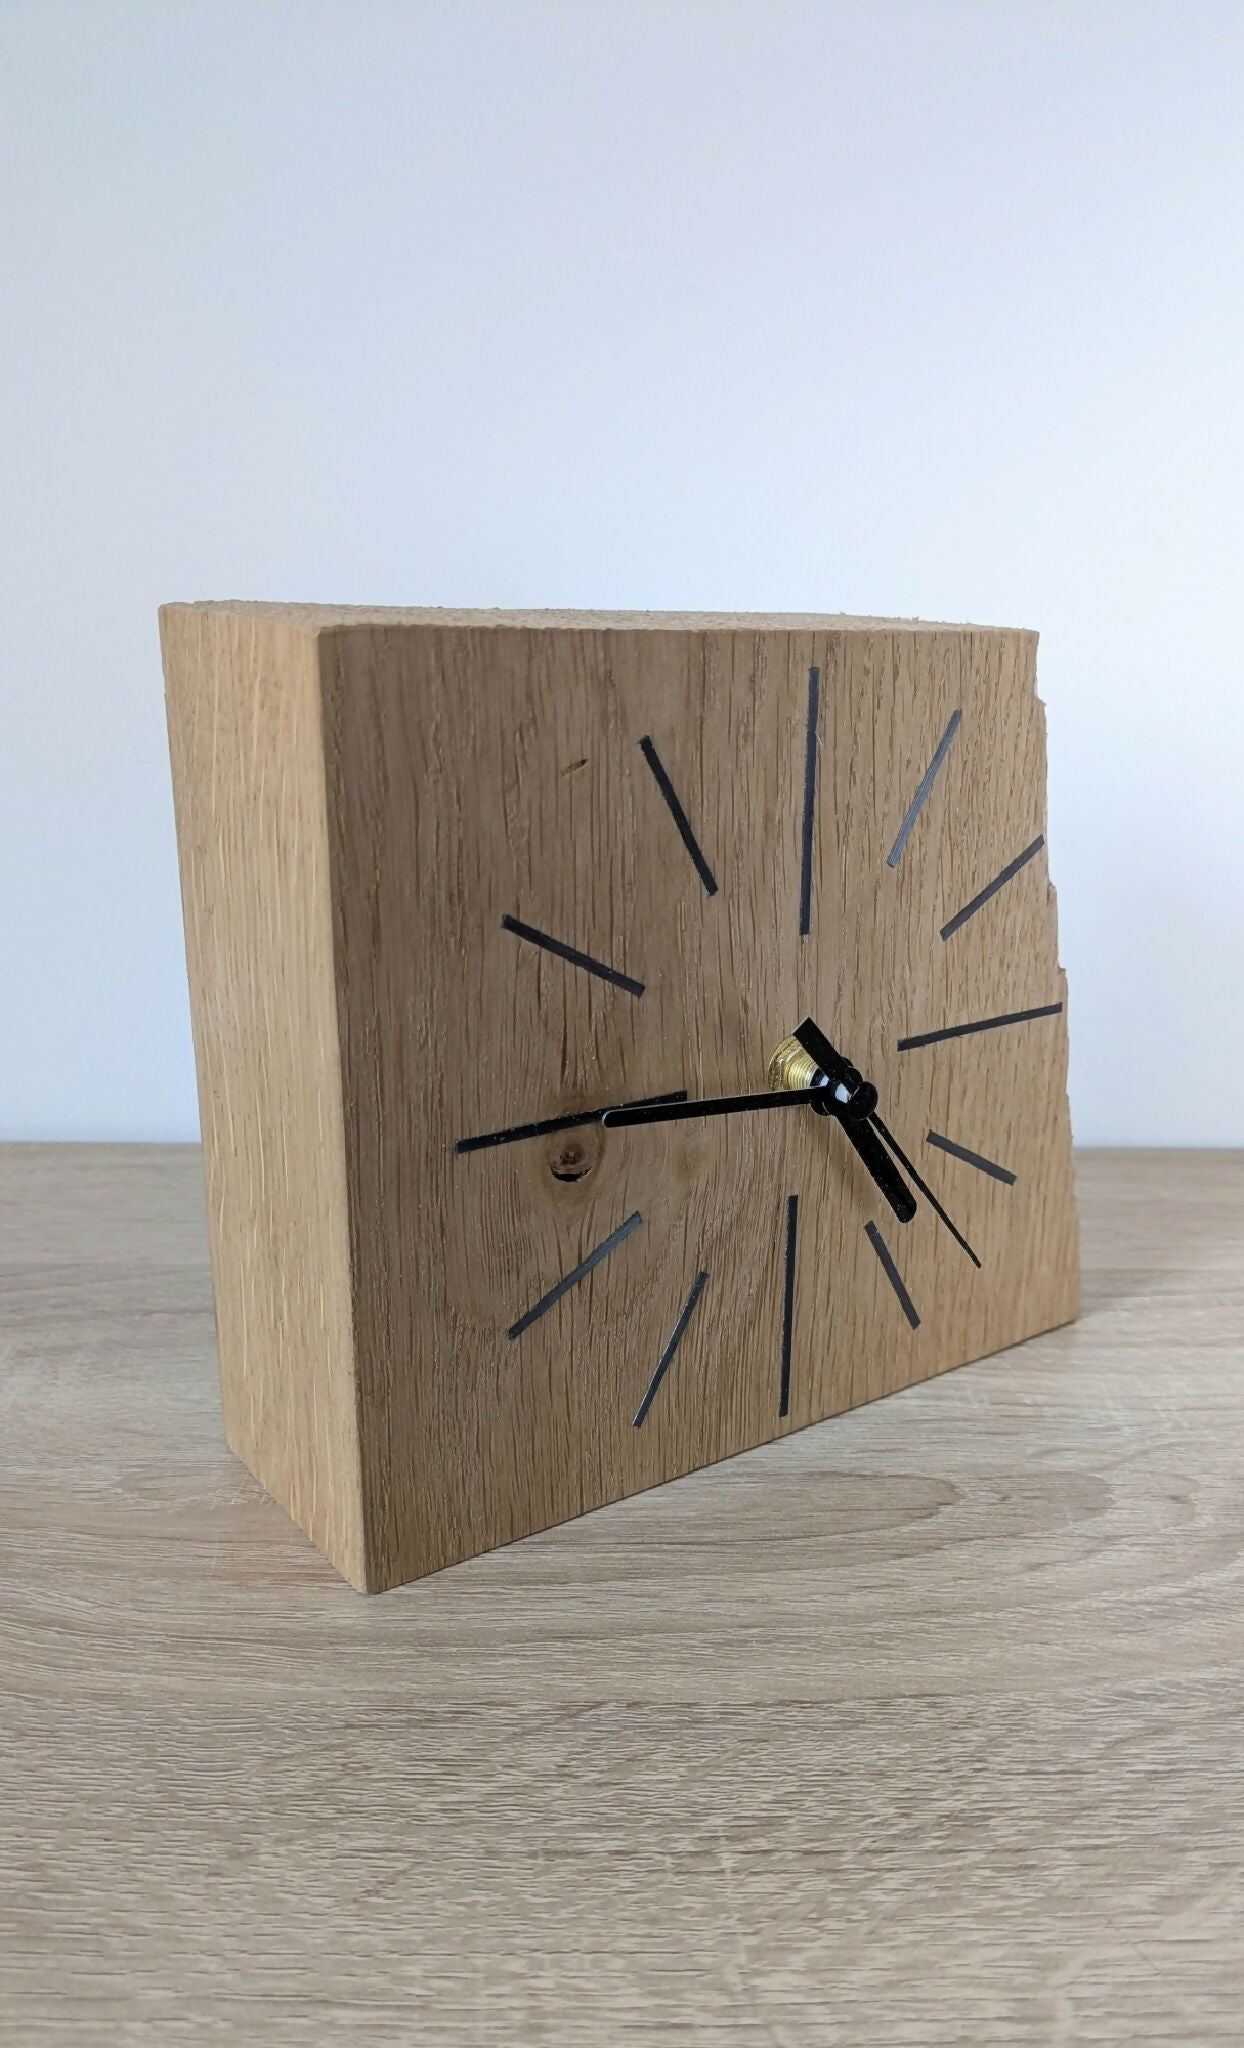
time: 4:45
